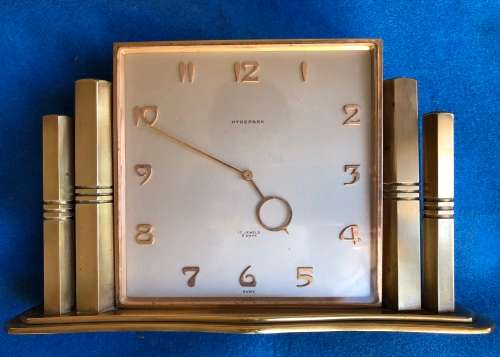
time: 4:49
